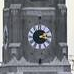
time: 1:18
